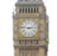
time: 2:46
